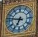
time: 6:47
